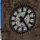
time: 1:24
